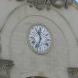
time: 11:33
